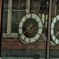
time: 1:39
